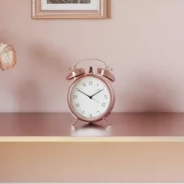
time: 1:50
